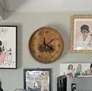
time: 4:07
